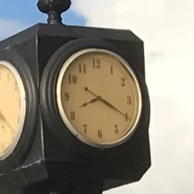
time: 8:19
